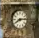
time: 8:14
